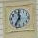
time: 11:35
